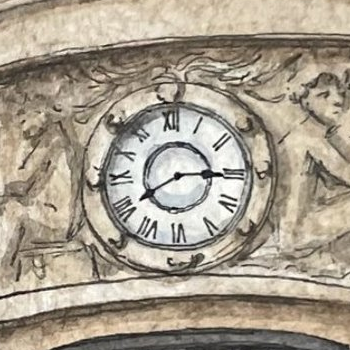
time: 8:15
